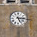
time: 5:14
